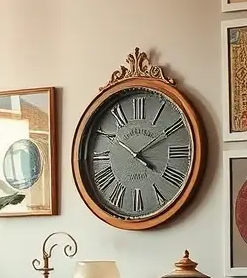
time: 4:10
